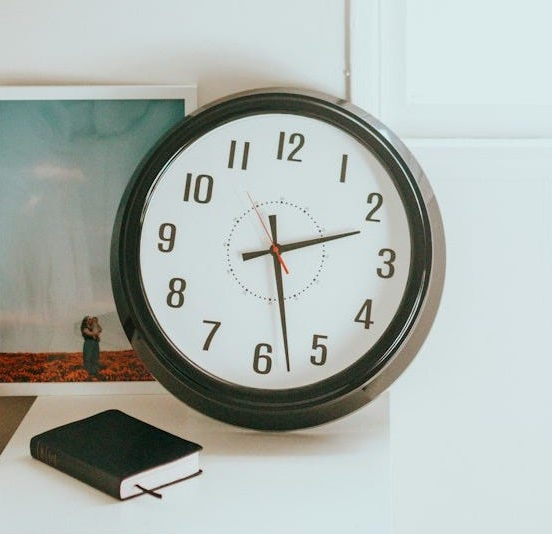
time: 2:27
